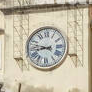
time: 8:47
